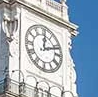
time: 12:11
